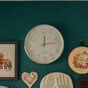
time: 12:14
